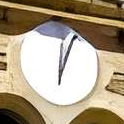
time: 12:03
